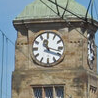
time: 11:17
